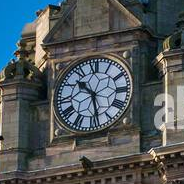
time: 10:28
